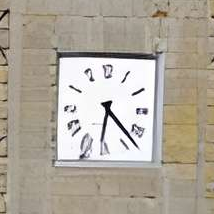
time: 6:22
